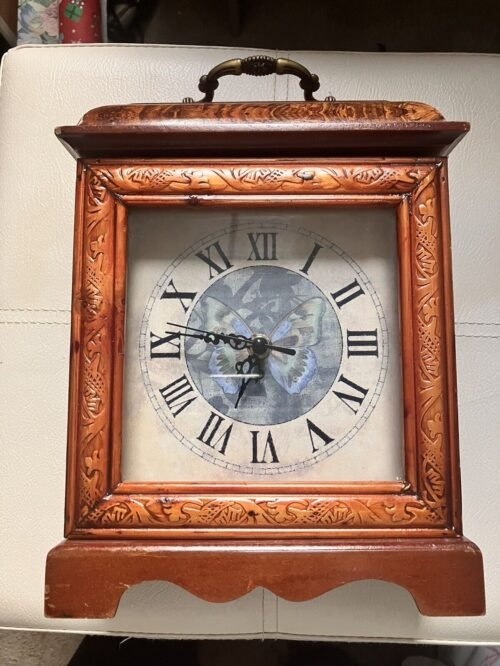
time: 6:47
